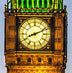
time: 8:11
